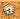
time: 5:41
